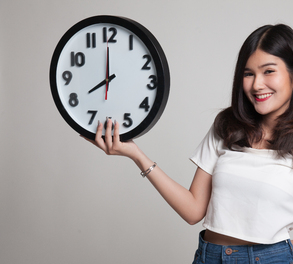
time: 7:59
